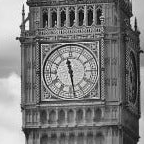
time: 11:28
